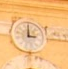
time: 2:59
